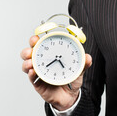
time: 4:37
